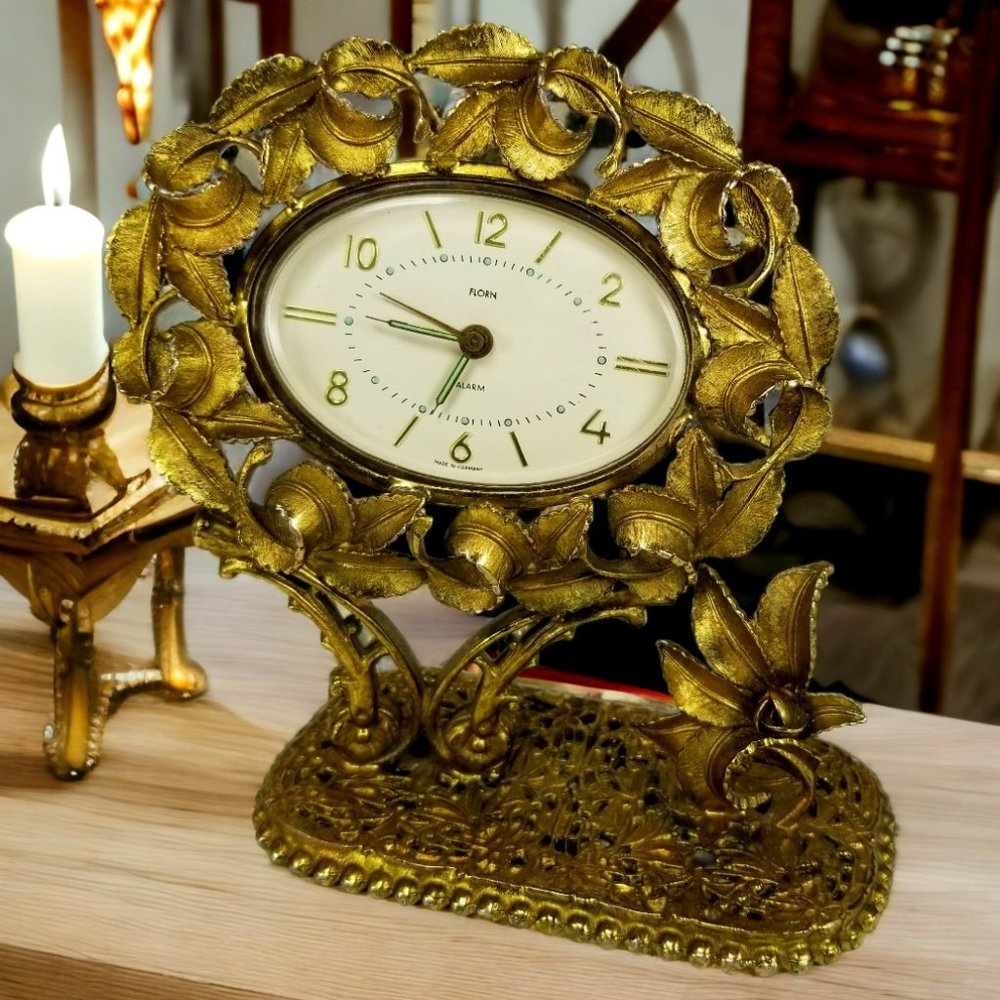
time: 9:34
